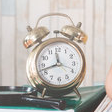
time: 11:42
